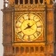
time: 8:09
